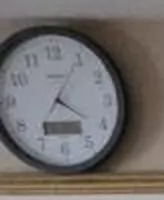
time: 4:05
